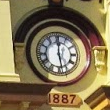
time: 6:00
